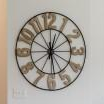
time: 12:28
